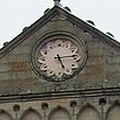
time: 5:14
